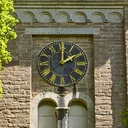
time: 2:00
